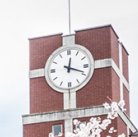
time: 12:18
